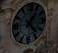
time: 1:23
